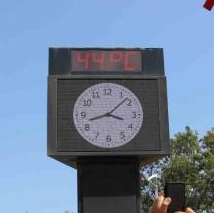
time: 3:42
